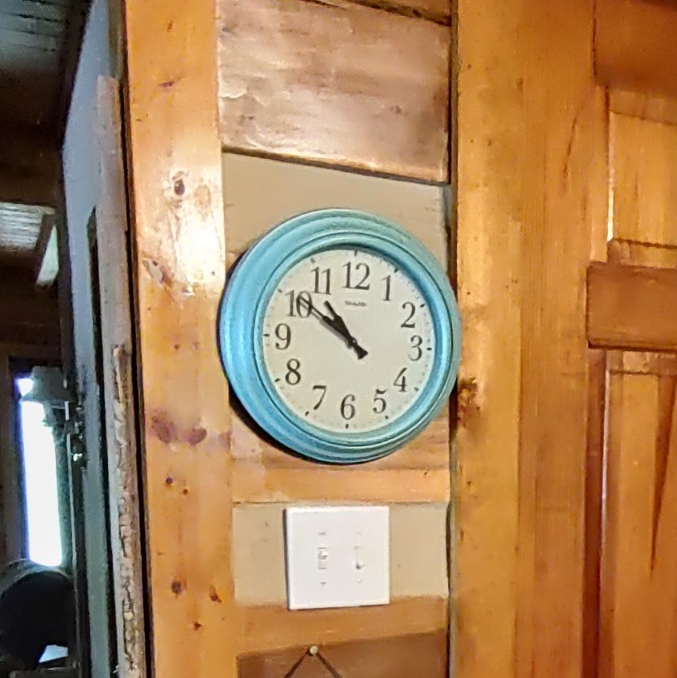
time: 10:50
